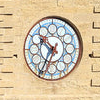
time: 10:34
